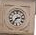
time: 2:36
